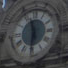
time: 11:31
